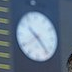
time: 10:23
